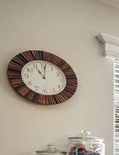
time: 11:01
